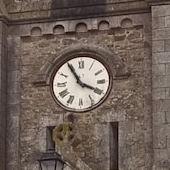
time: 3:54
